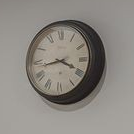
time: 3:43
